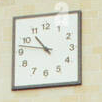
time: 10:47
